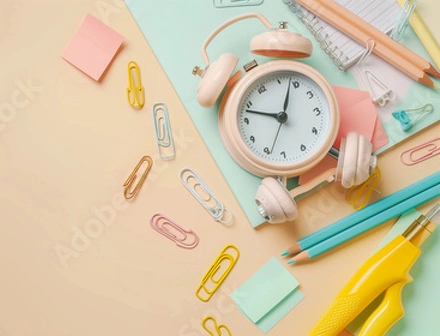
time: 12:47
